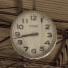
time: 8:43
